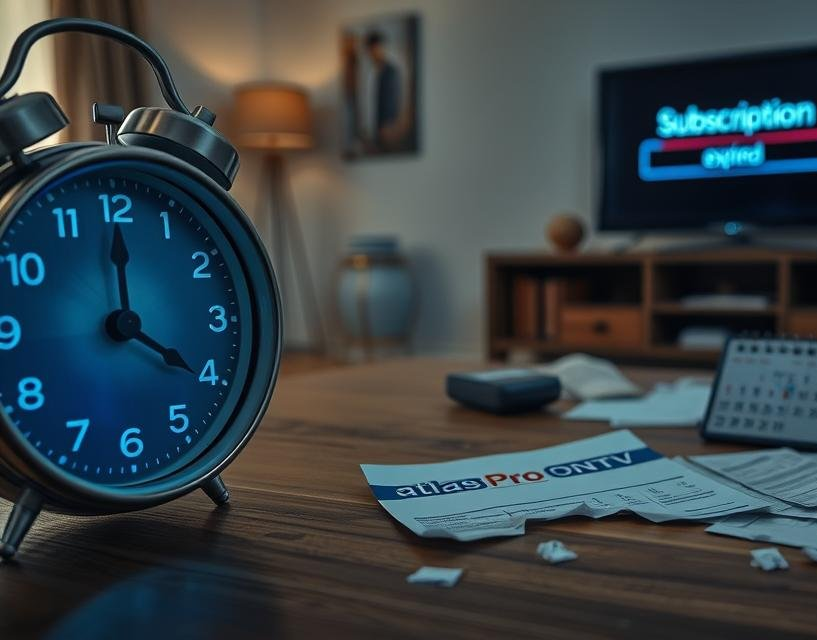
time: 4:00
